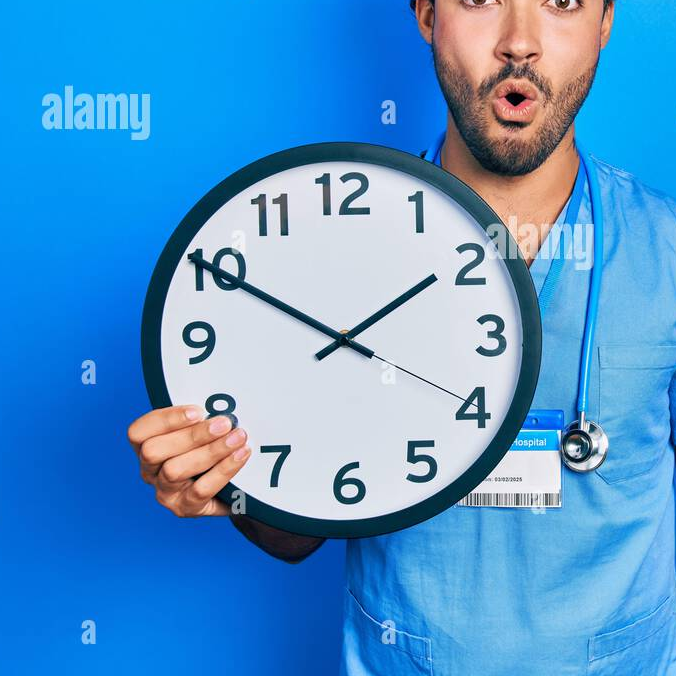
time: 1:50
